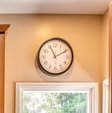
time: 11:10
